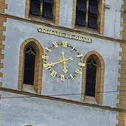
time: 5:40
